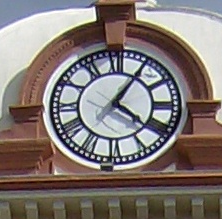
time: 4:05
